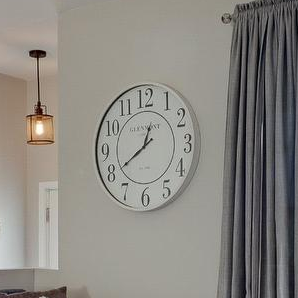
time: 12:39
